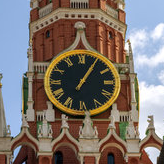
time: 1:05
